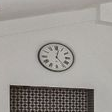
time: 12:23
